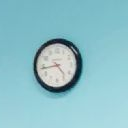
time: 4:43
